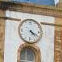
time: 4:20
